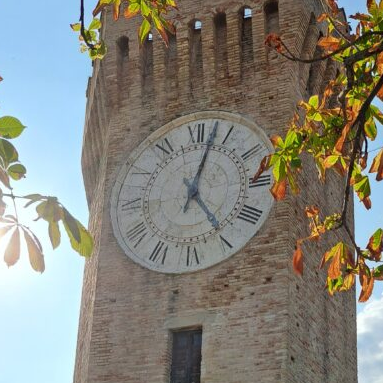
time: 5:02
